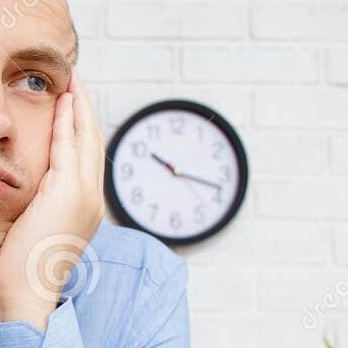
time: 10:18
